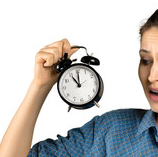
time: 11:00
